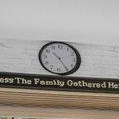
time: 10:24
